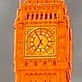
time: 6:55
